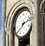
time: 2:38
